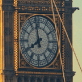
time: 7:58
